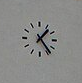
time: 1:23
